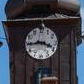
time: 3:44
